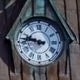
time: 9:45
